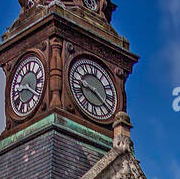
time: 9:20
